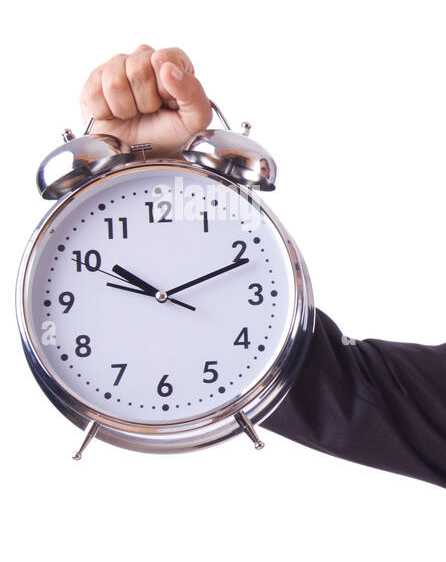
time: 10:11
